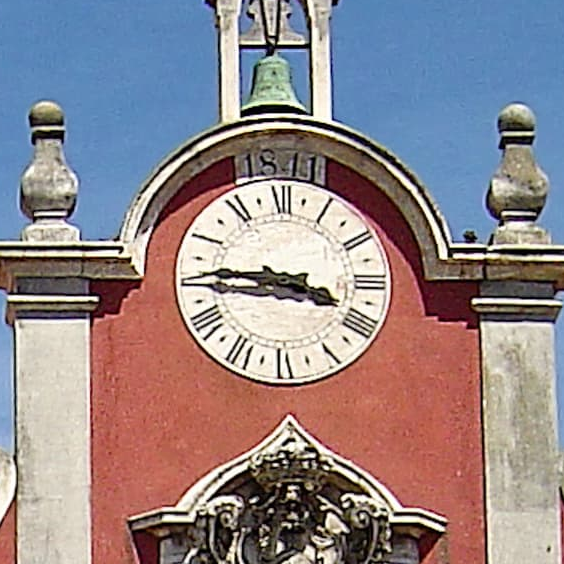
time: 3:45
